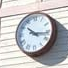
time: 10:16
